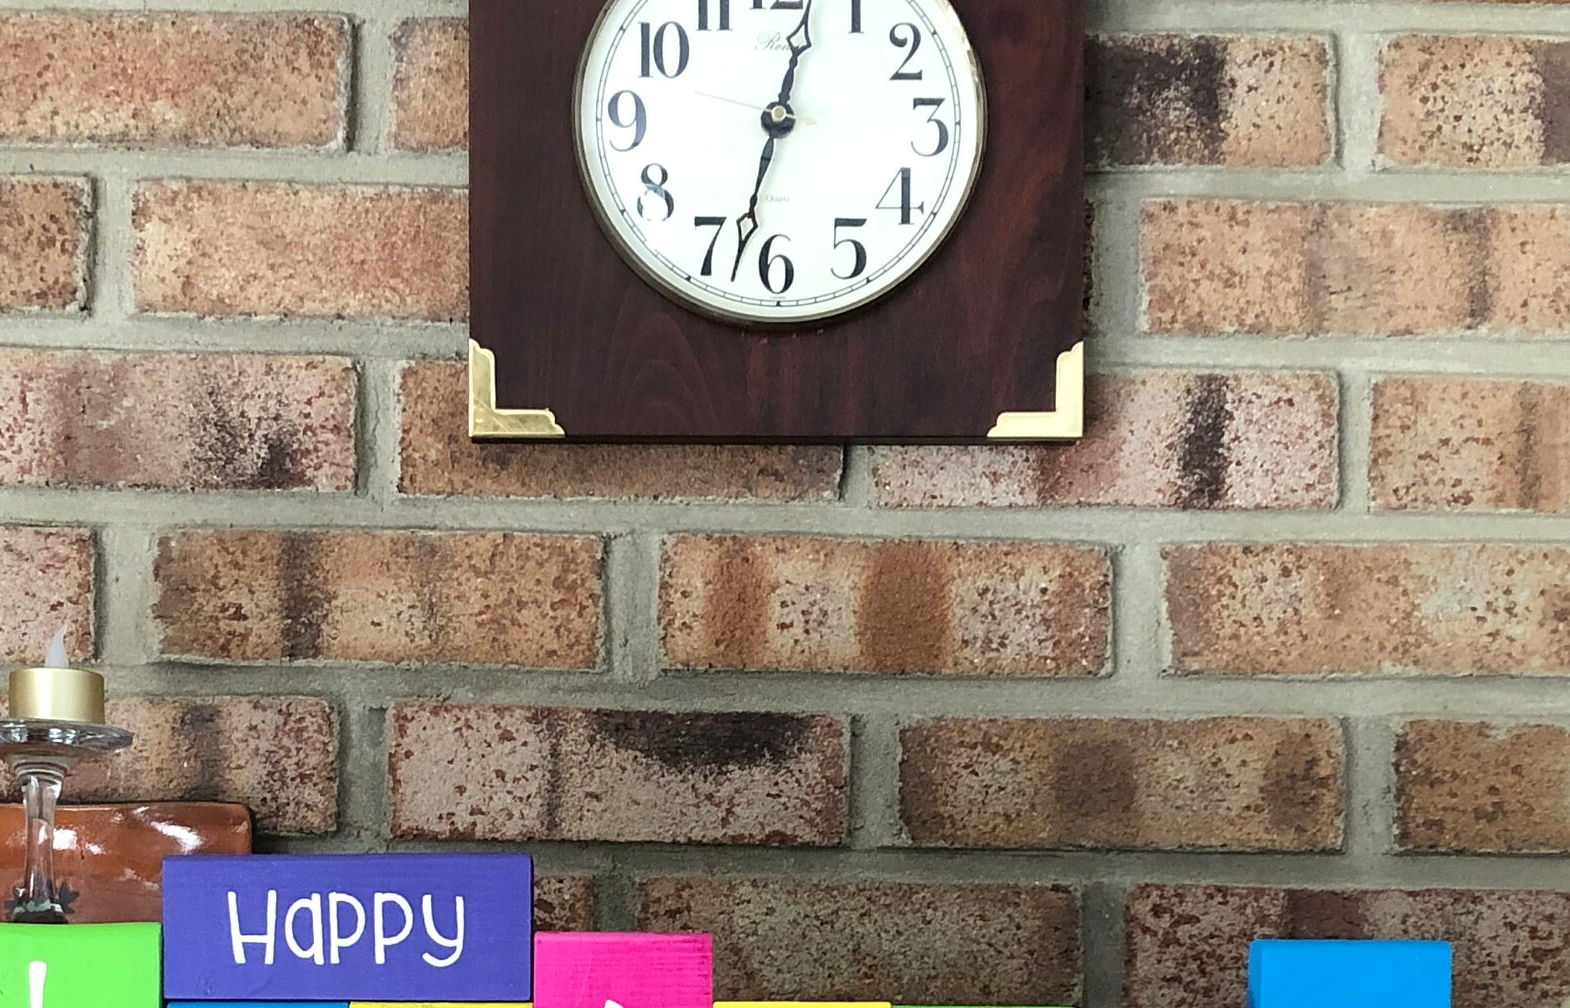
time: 12:32
